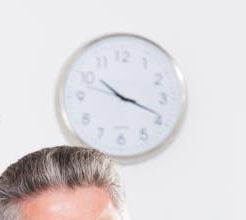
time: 10:18
